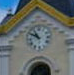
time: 10:50
